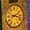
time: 2:17
